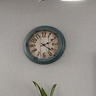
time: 2:21
